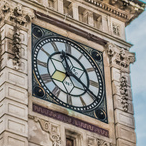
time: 11:19
